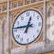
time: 12:46
